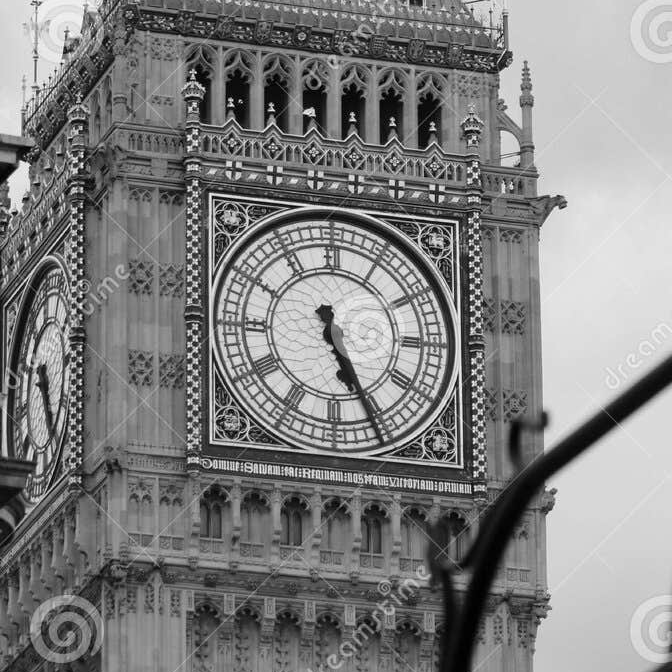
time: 5:26
